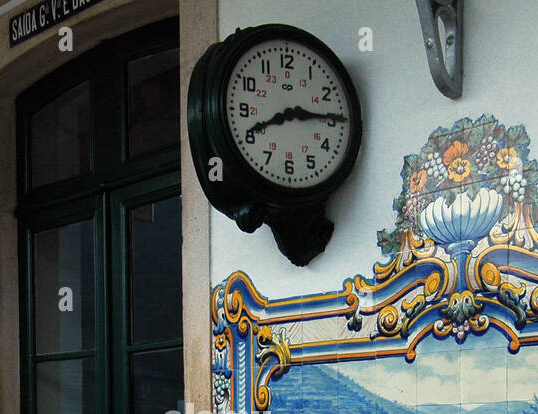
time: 8:14
